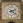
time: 2:21
